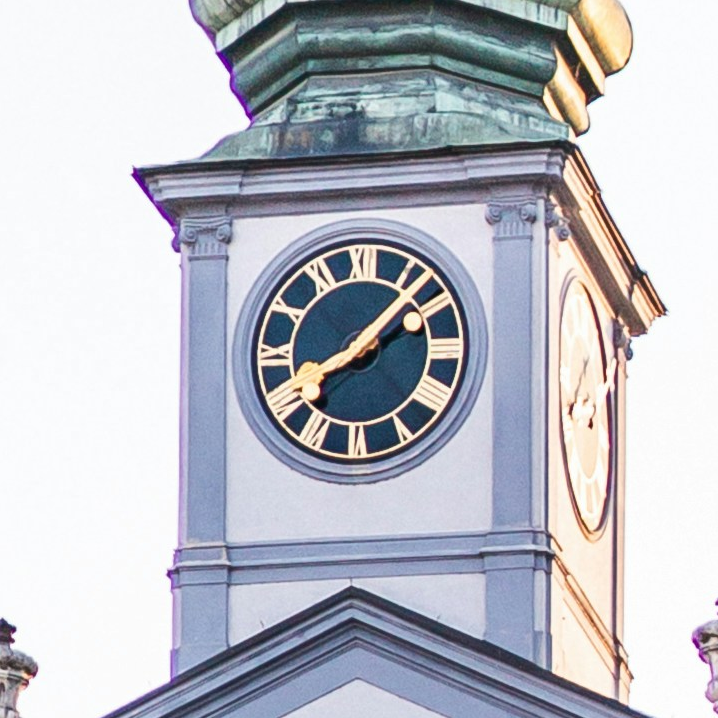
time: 8:07
